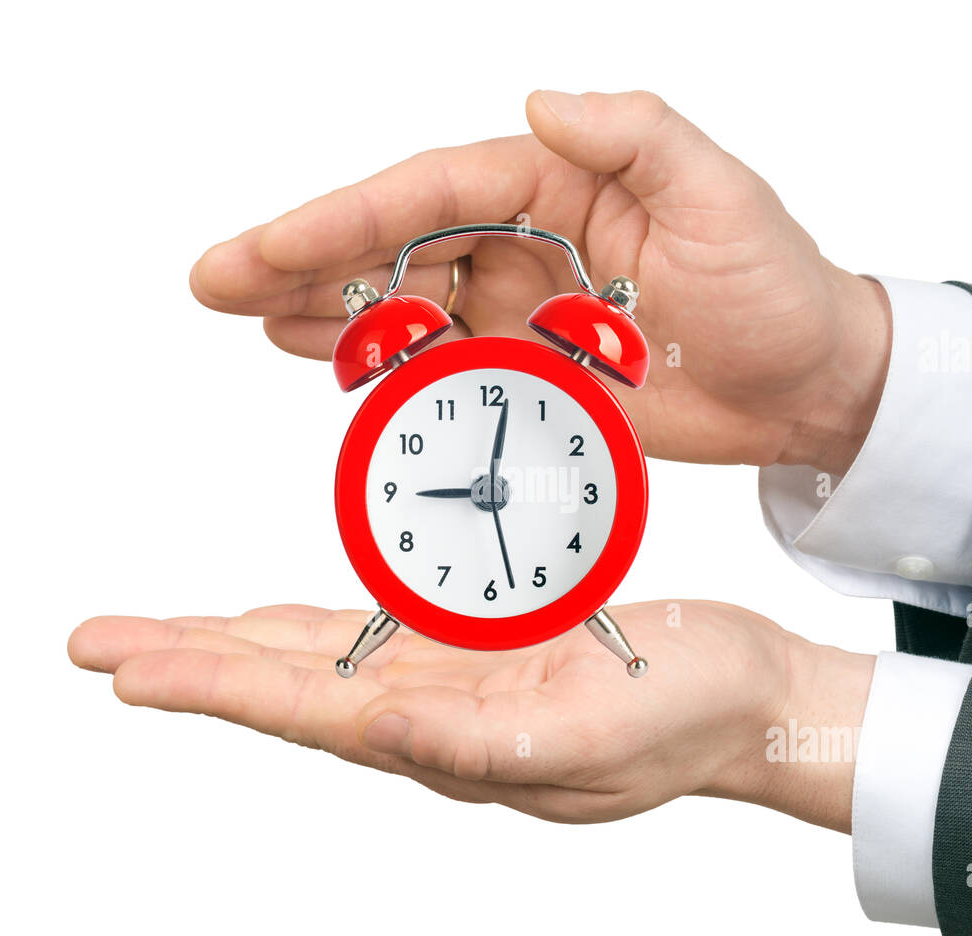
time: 9:01
